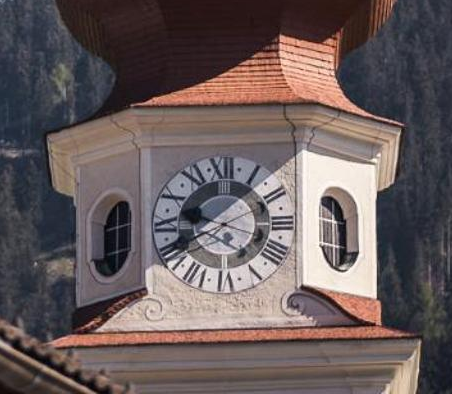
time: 9:40
